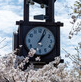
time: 1:03
